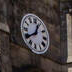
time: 12:39
